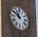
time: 10:50
